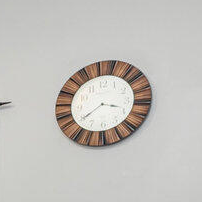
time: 3:39
